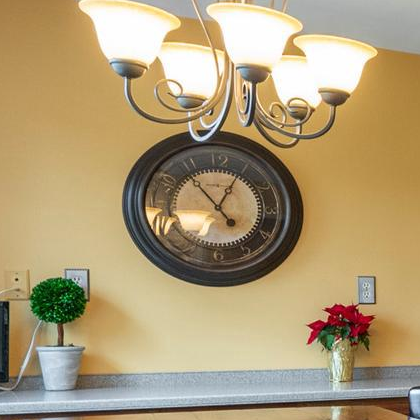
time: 12:53
